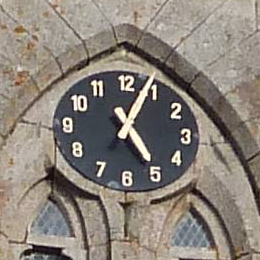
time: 5:04
